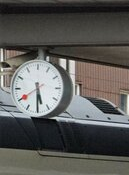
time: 5:30
